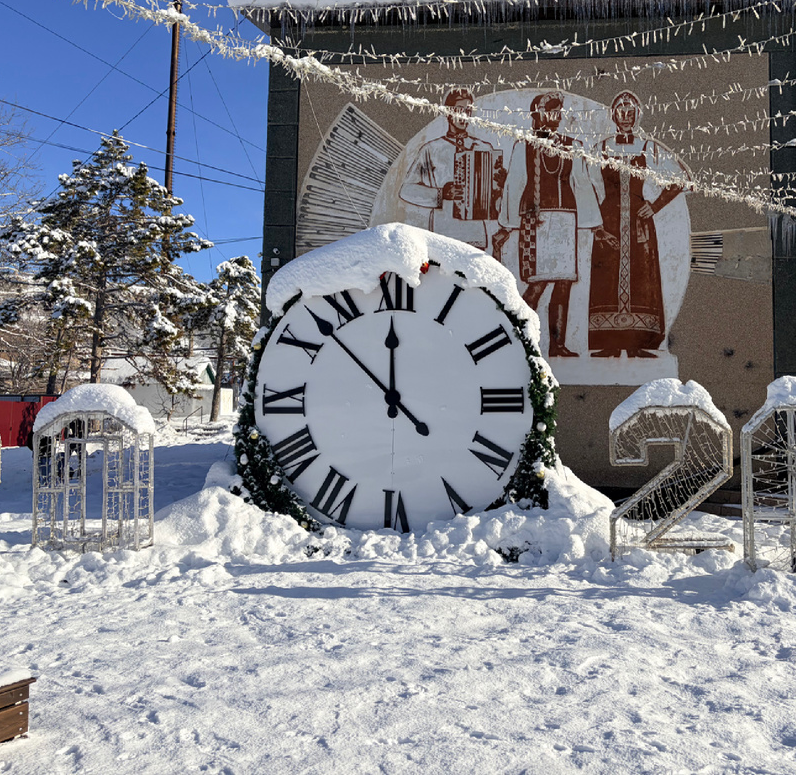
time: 11:52
